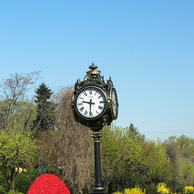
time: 9:31
